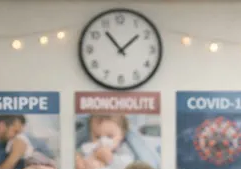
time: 1:53
